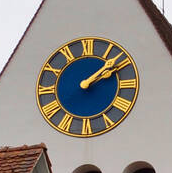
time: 2:08
